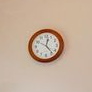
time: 12:23
